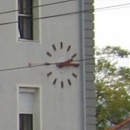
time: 2:14
